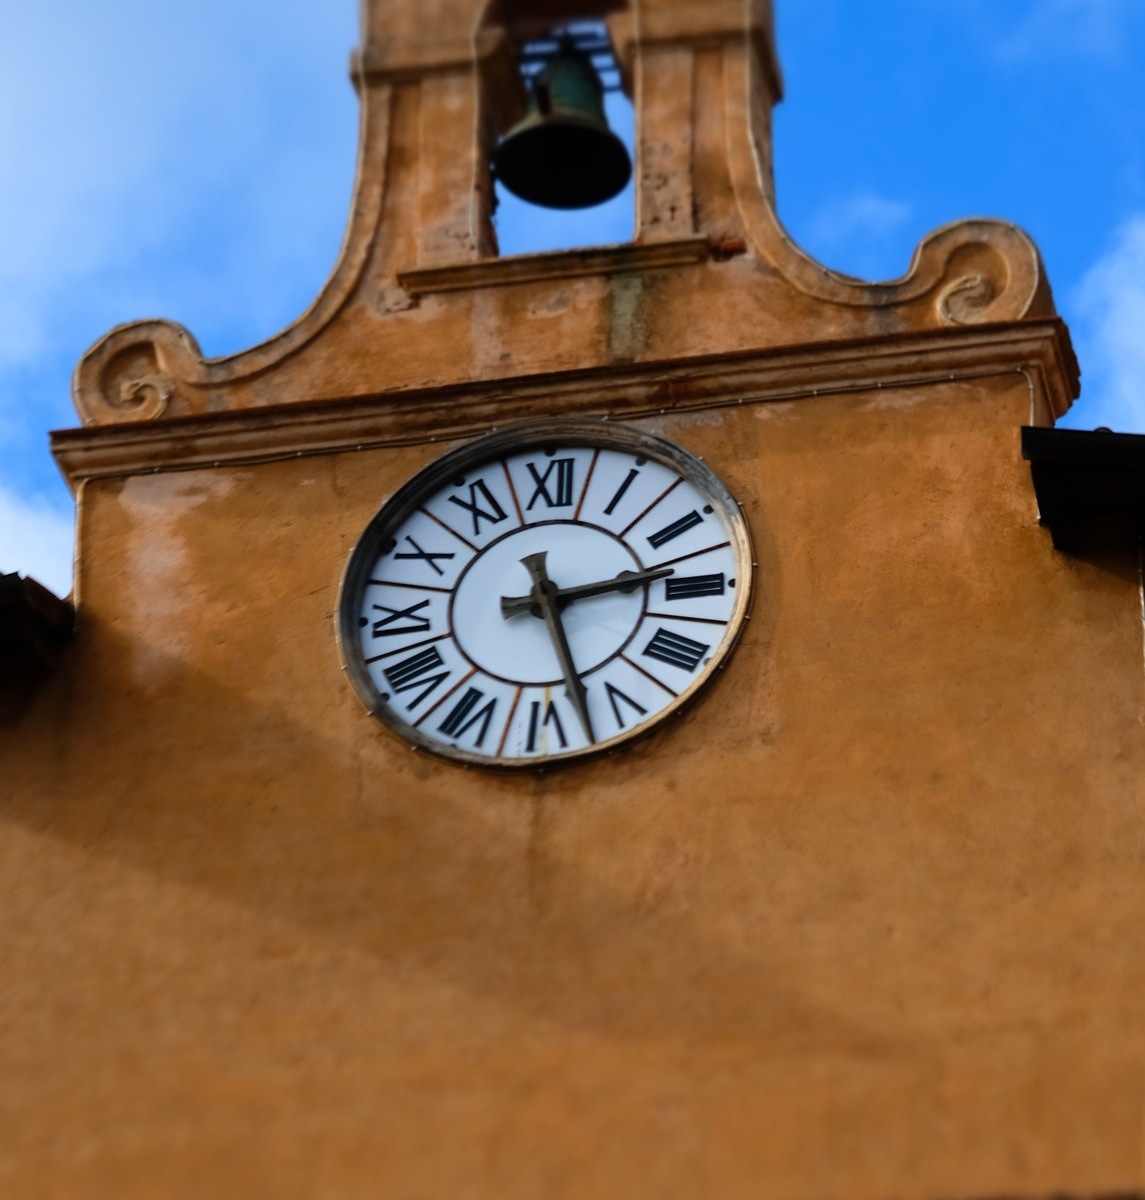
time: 2:27
